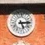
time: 5:14
